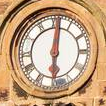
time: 6:01
